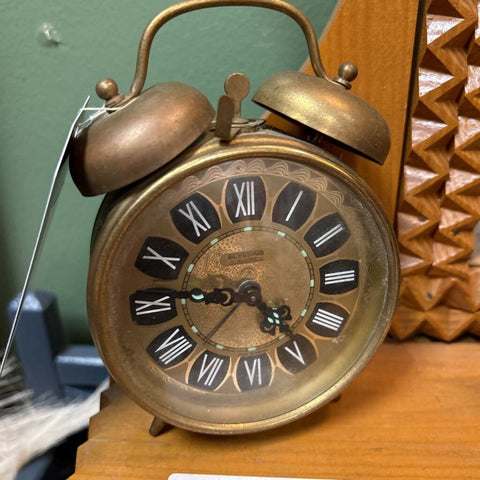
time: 4:46
